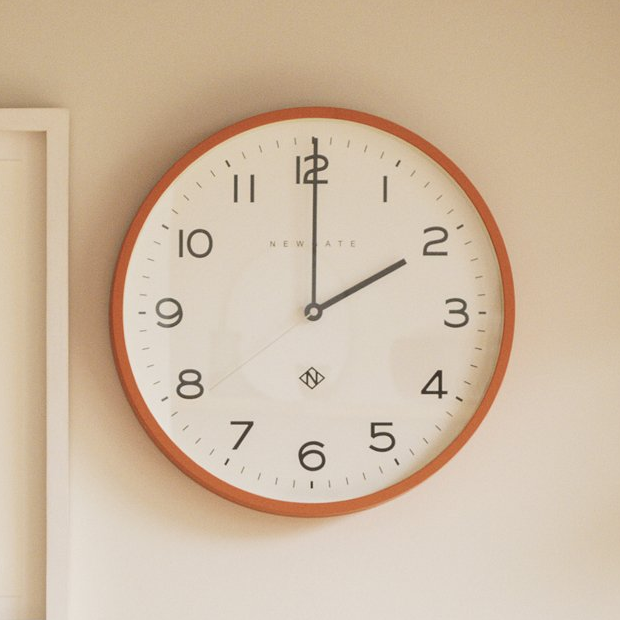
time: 2:00
